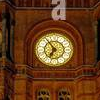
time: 6:54
